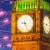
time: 9:26
